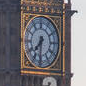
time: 7:30
